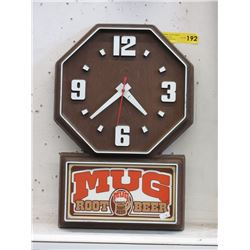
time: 4:37
